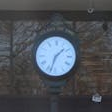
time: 1:33
